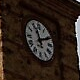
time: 11:11
